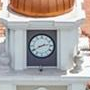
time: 2:40
